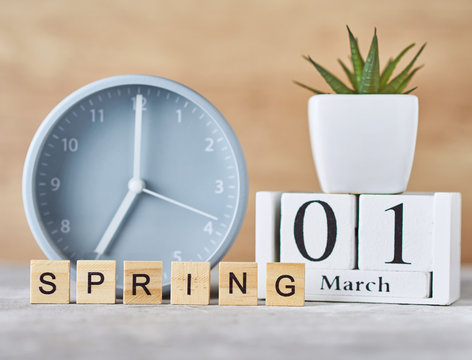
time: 7:00
